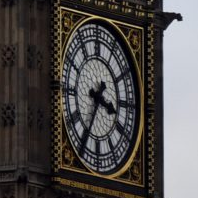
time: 3:35
